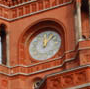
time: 12:07
